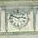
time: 2:48
